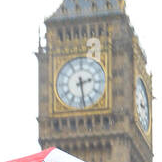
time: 2:28
